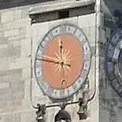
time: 11:46
